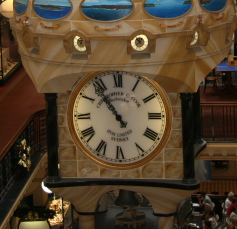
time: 10:53
